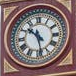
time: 10:28
